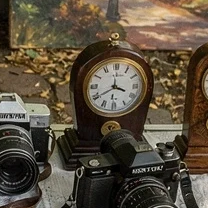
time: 3:40
